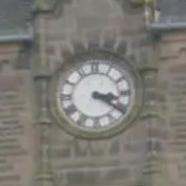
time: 3:21
